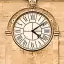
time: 4:09
